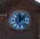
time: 12:07
